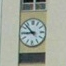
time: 8:52
